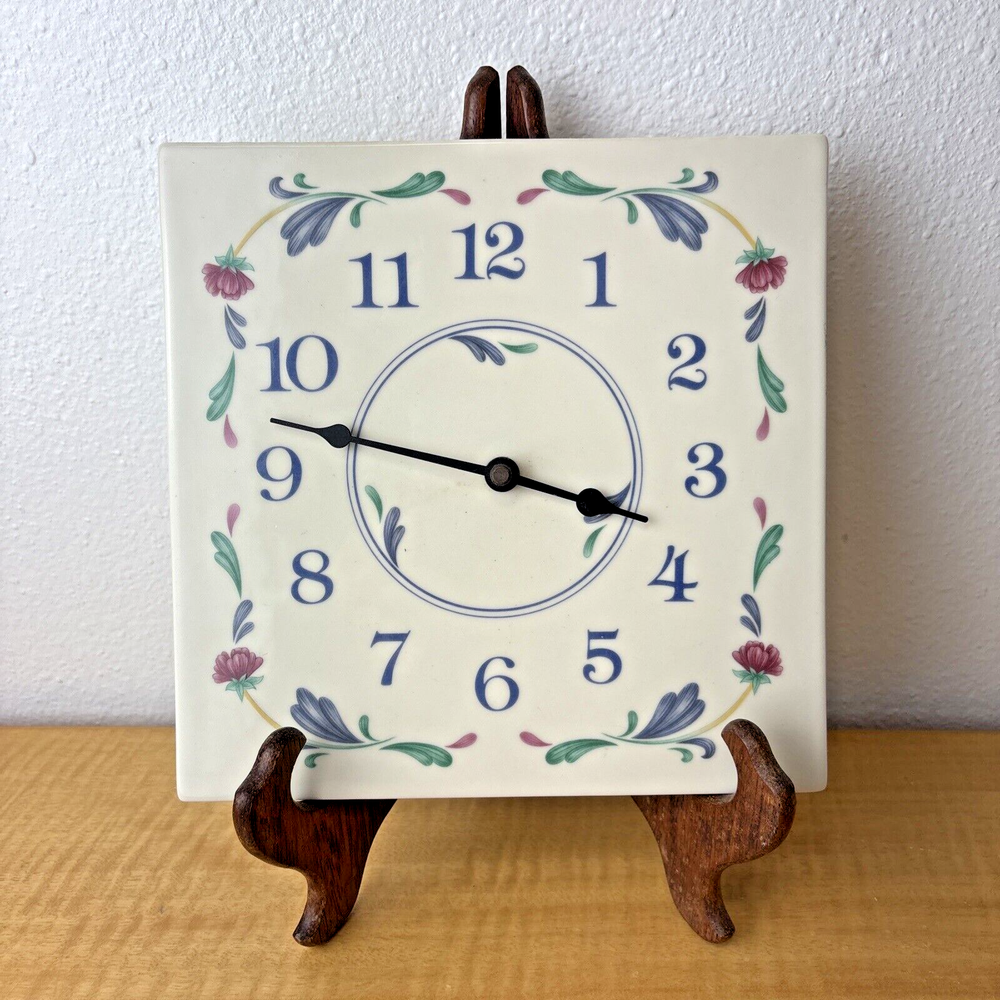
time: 3:47
